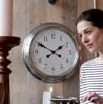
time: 1:50
